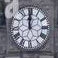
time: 12:00
